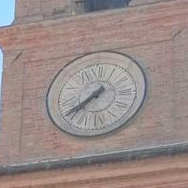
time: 7:39
